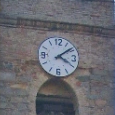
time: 4:08
